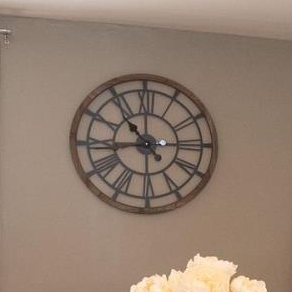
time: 10:43
